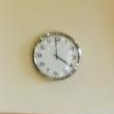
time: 3:59
